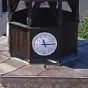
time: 11:14
